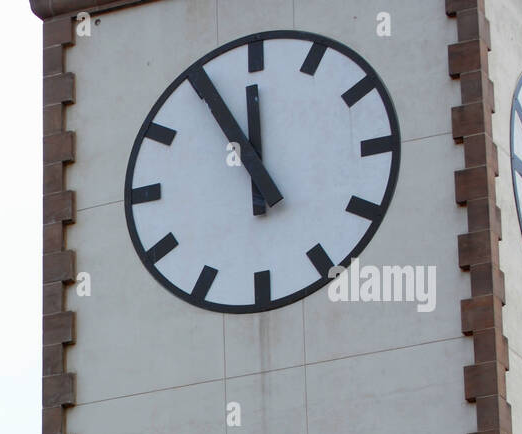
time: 11:54
